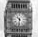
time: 10:32
